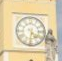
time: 4:31
